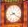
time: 8:21
